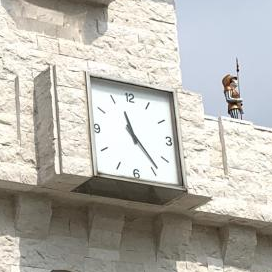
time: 11:23
